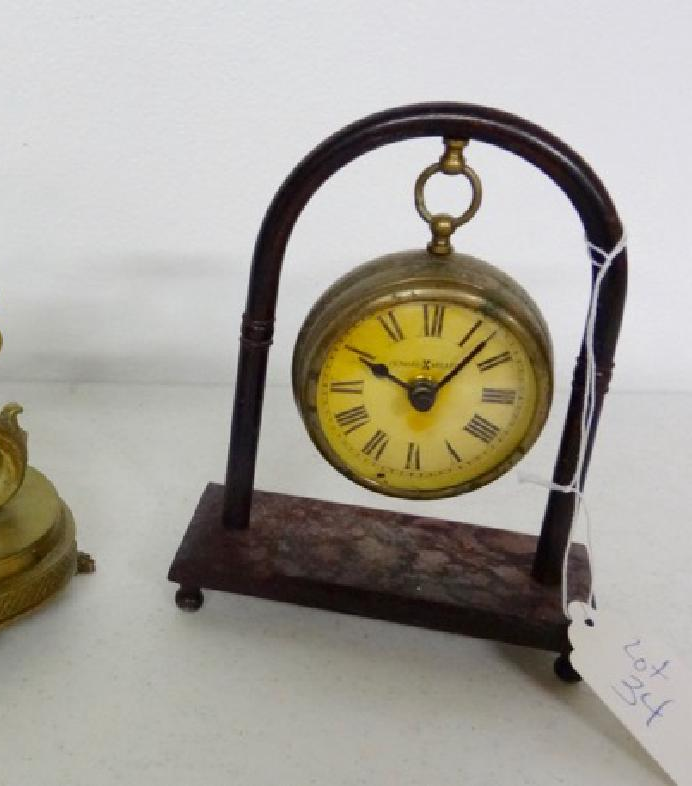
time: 10:07
